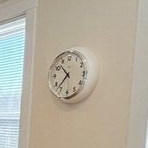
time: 10:37
